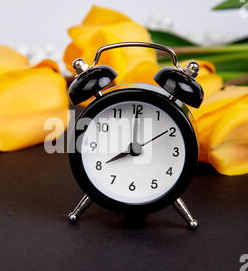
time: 8:00
